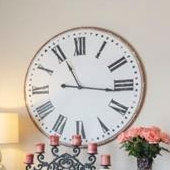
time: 11:16
